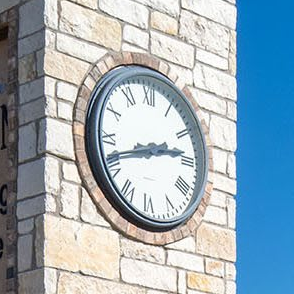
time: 2:41
